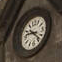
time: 9:22
